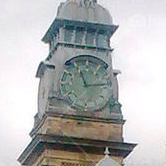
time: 11:13
